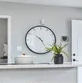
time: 10:24
